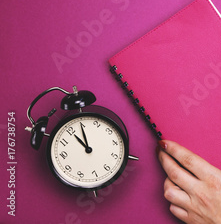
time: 10:59
